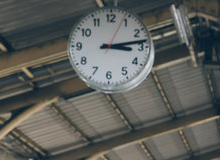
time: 3:13
